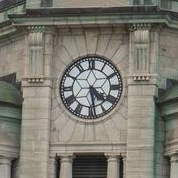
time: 4:28
